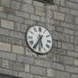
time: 5:35
